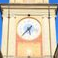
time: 5:37
